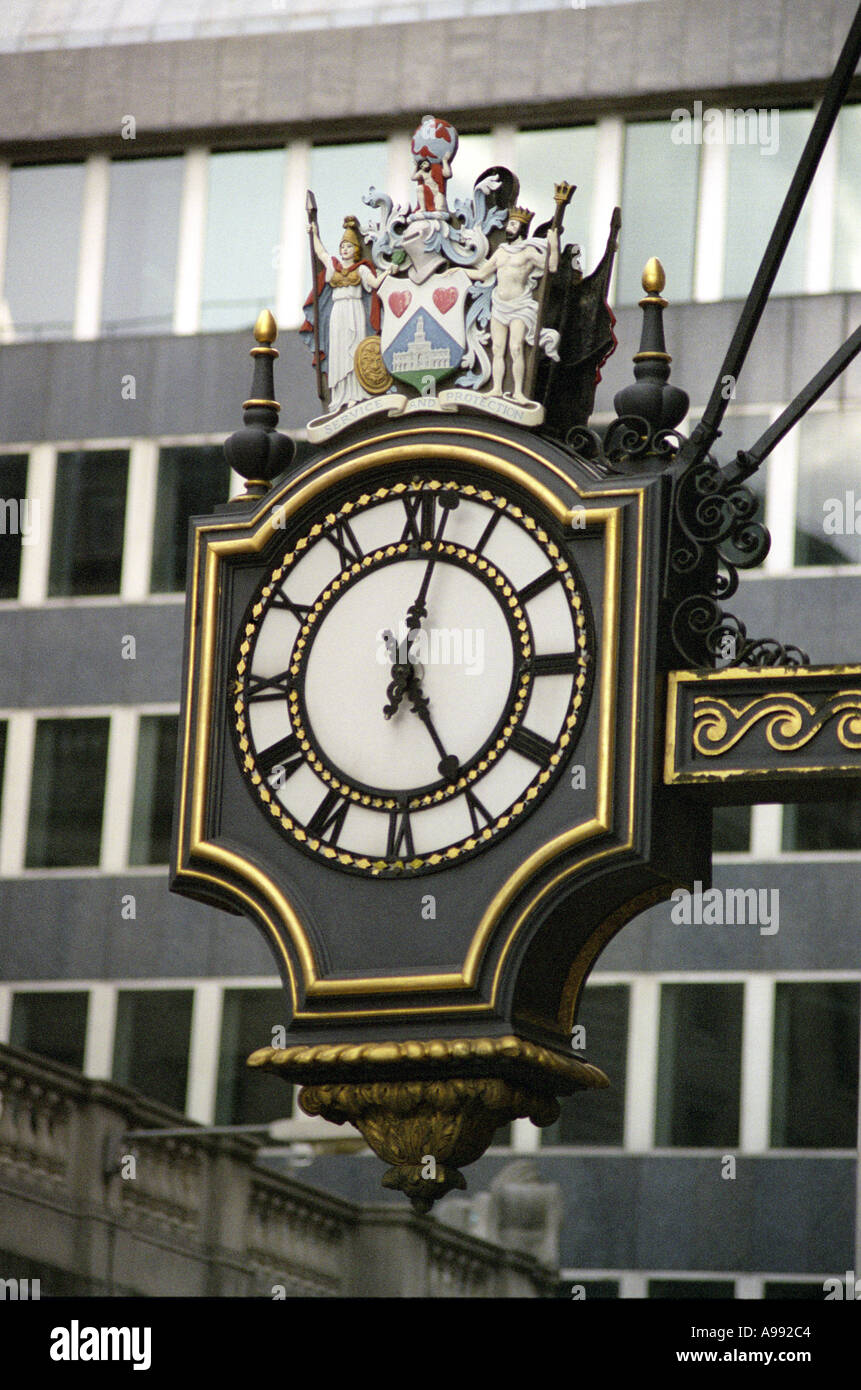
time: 12:24
